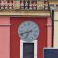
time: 6:41
